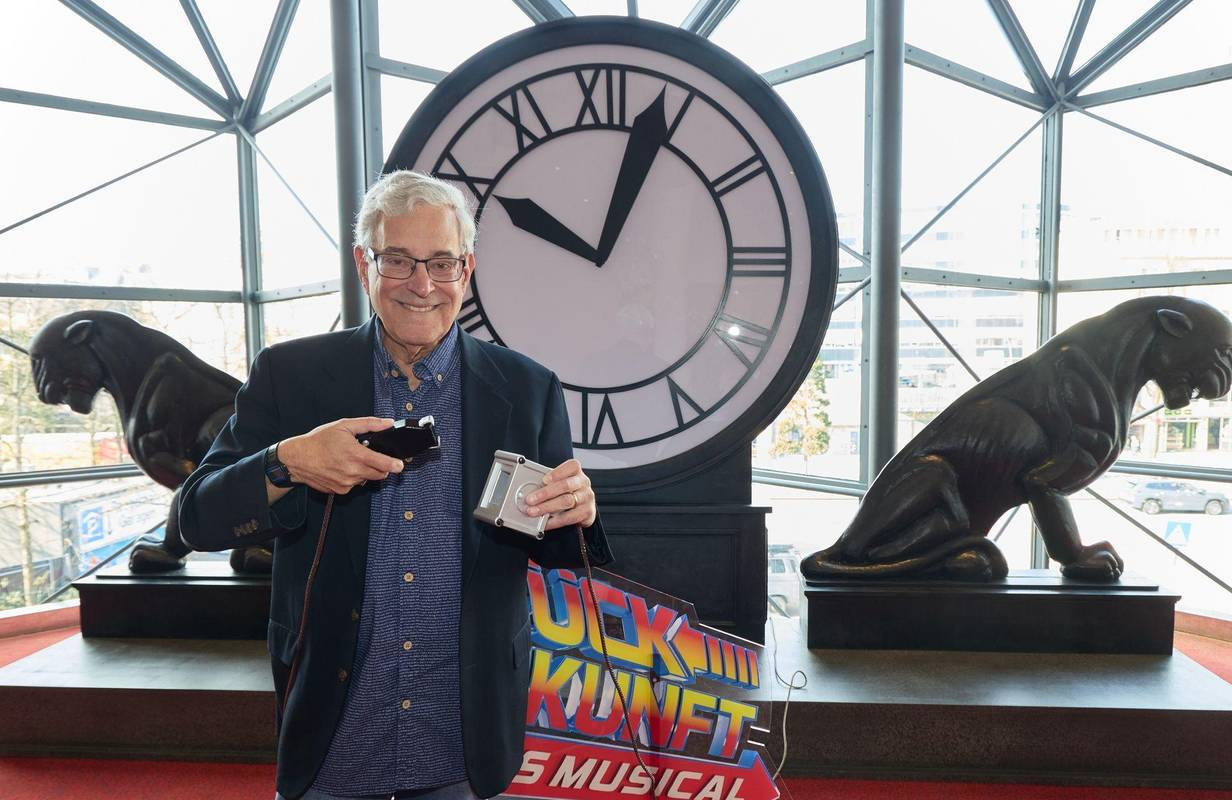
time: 10:03
